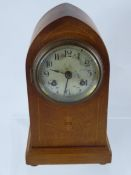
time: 9:32
